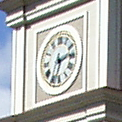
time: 2:33
